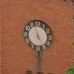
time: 4:57
